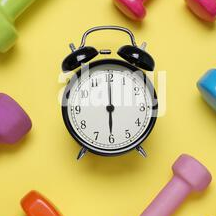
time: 6:00
